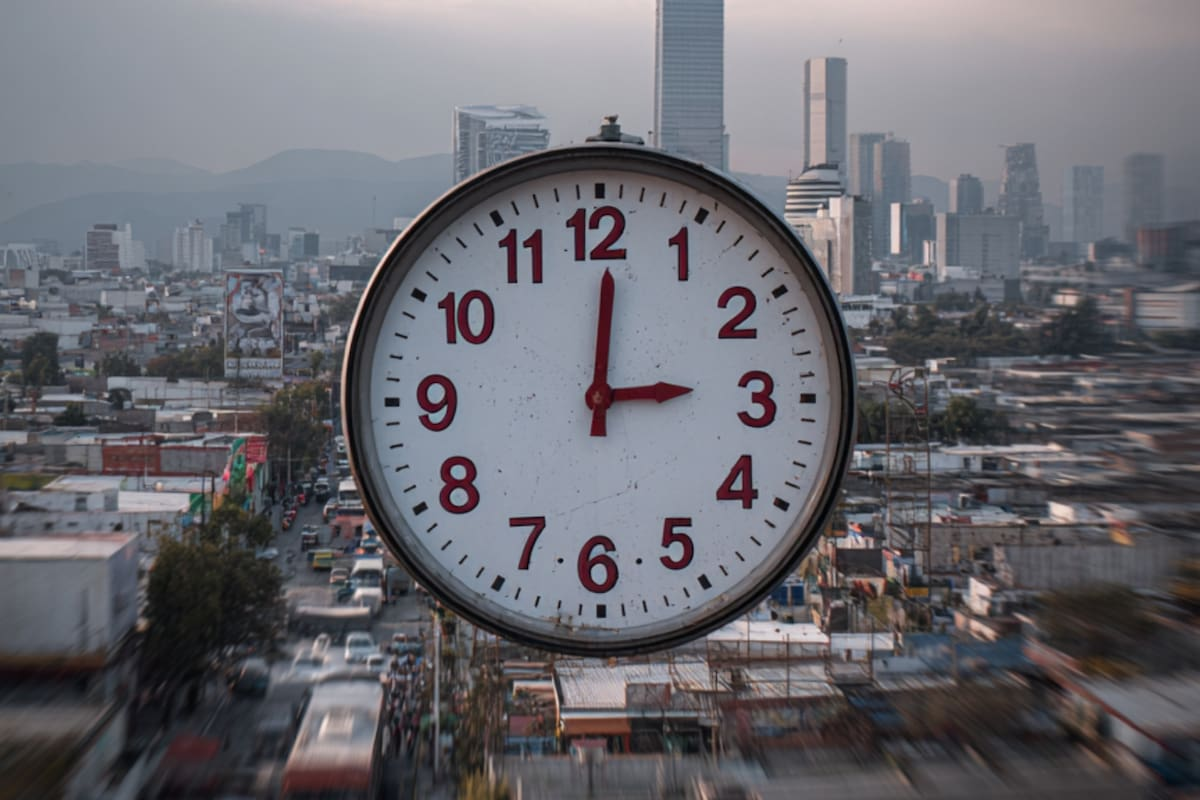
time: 3:00
